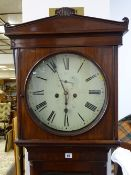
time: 5:55
